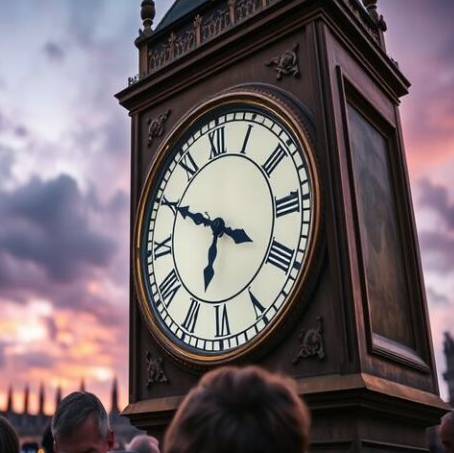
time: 6:49
